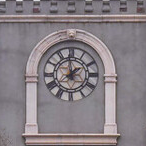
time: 1:59
